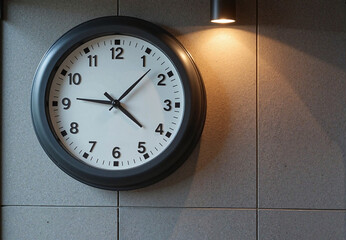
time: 9:07
